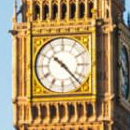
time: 10:22
